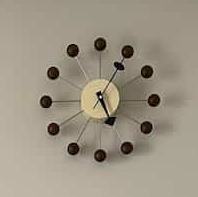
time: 5:05
